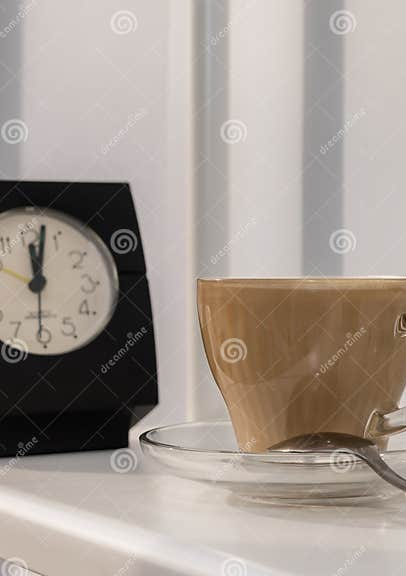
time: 12:02
